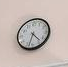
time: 4:33
